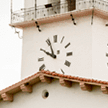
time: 9:56
